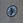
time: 11:32
